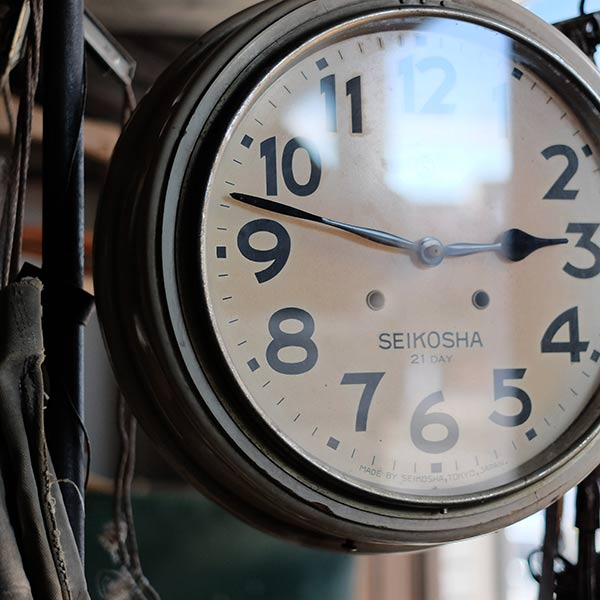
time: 2:47
